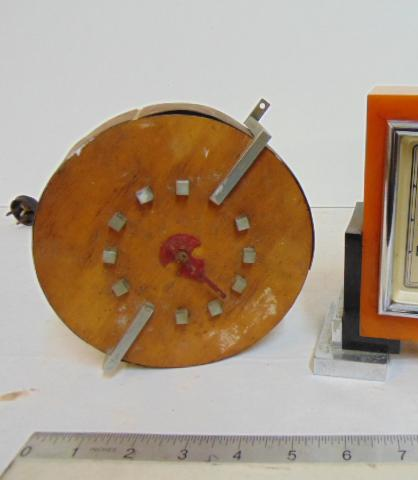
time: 4:22
